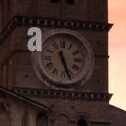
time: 11:26
